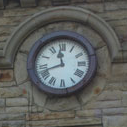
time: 11:42
